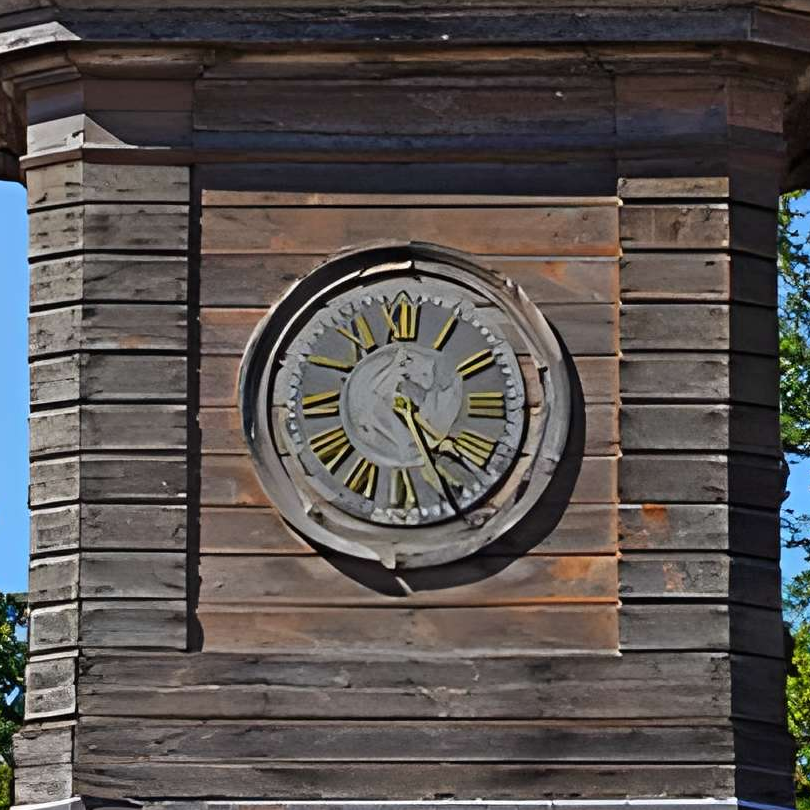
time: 4:26
